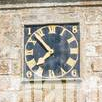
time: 7:52
